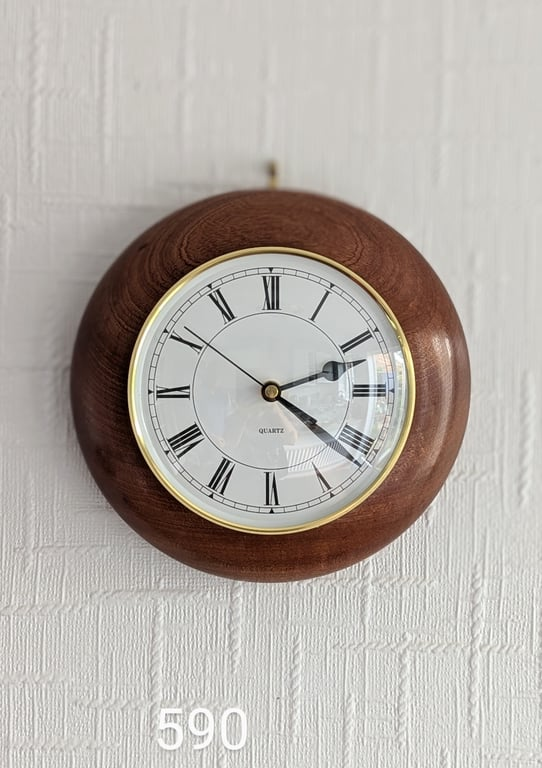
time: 2:21
